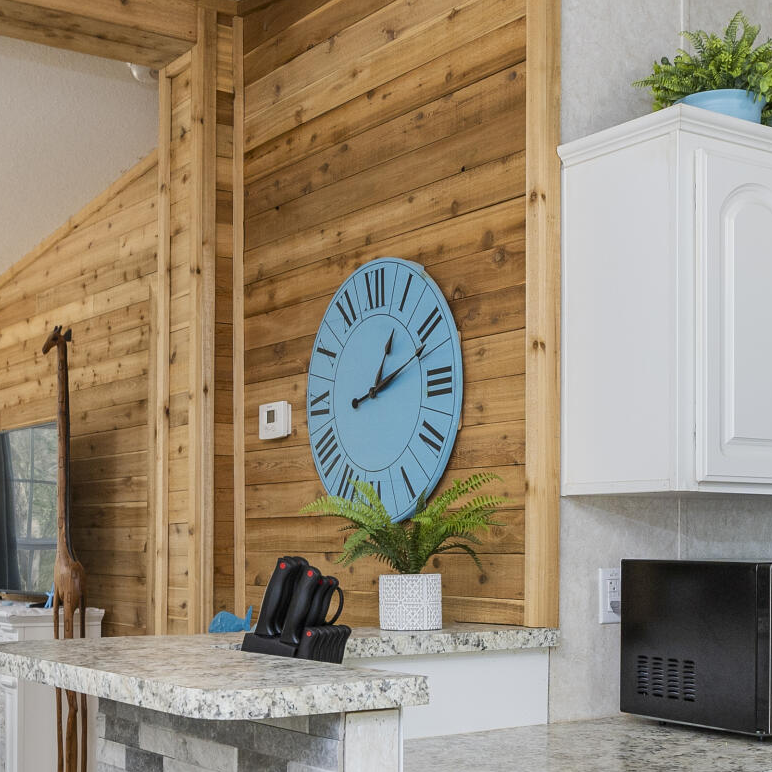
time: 1:11
